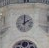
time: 2:00
